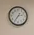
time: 2:35
